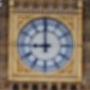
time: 8:59
